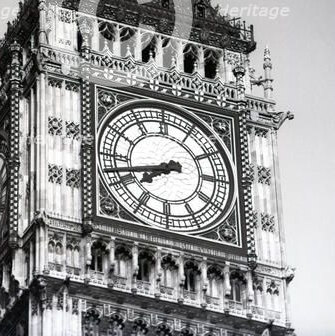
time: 7:42
